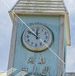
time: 11:50
